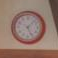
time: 5:07
